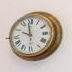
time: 9:58
